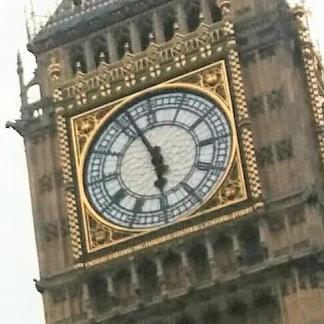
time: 5:57
